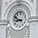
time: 8:49
